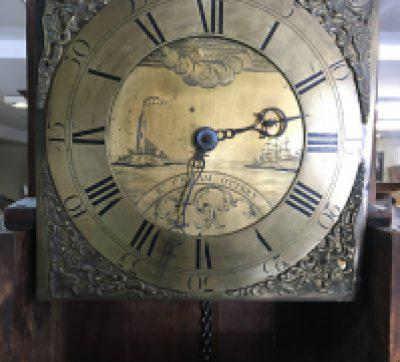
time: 2:33
